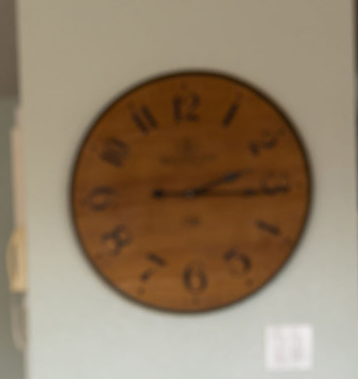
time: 2:15
